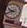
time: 9:42
